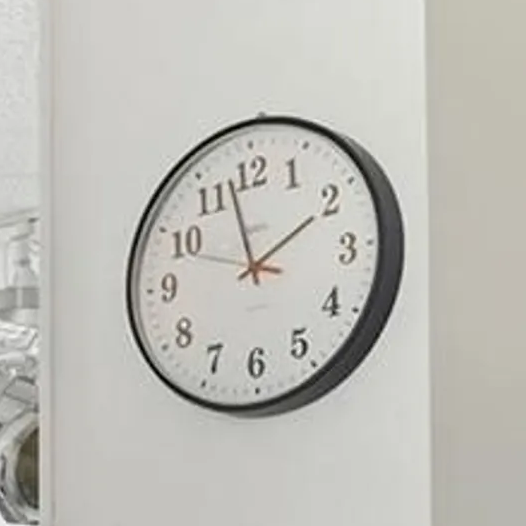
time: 1:57
